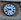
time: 9:40
